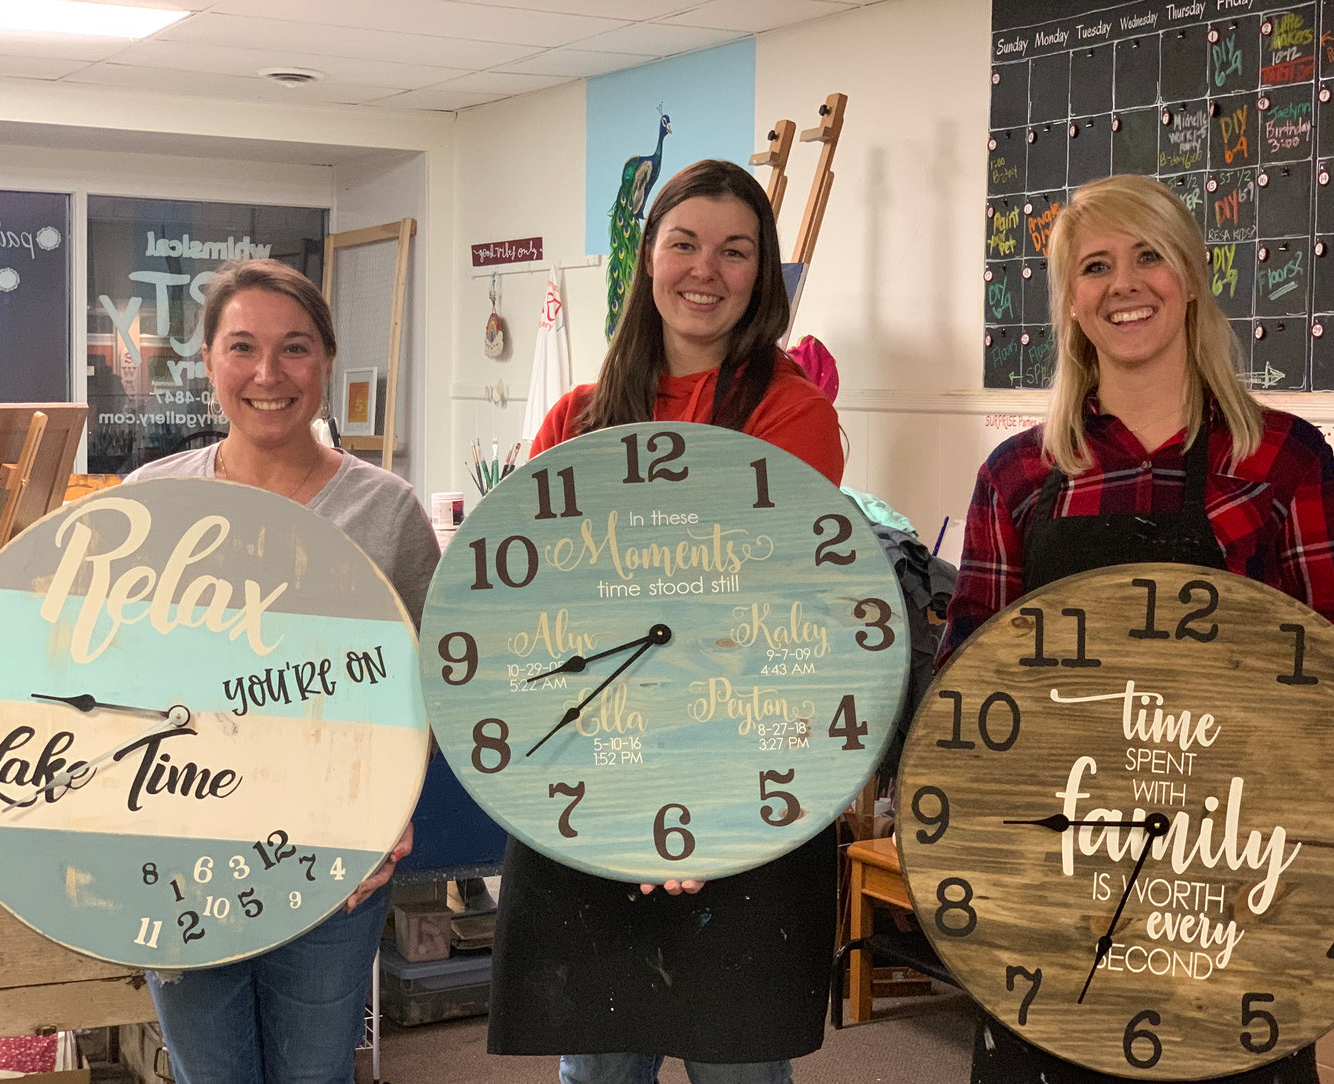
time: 8:38
